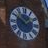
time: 1:50
